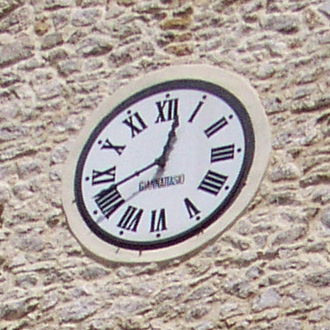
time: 8:02
